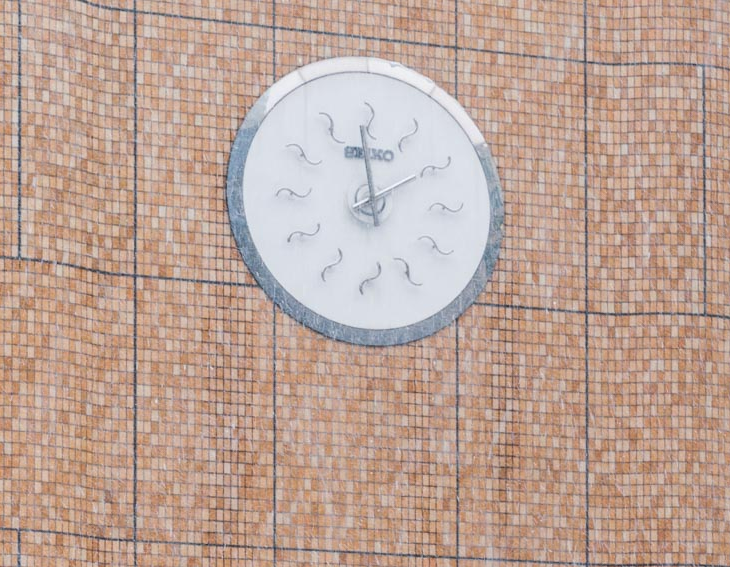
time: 1:59
